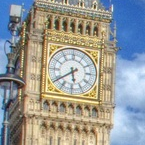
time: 5:39
